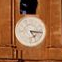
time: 5:15
